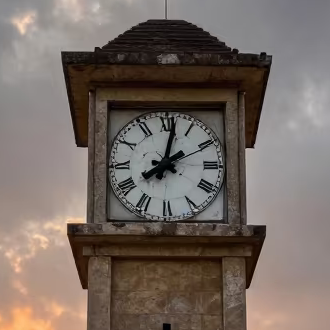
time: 8:01
